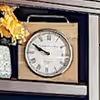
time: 9:50
